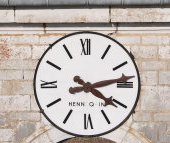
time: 4:13
